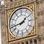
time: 1:43
